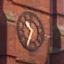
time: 10:33
